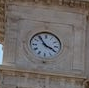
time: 3:54
